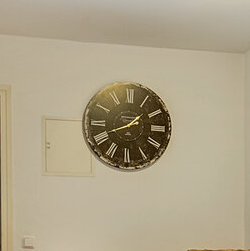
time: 1:41
